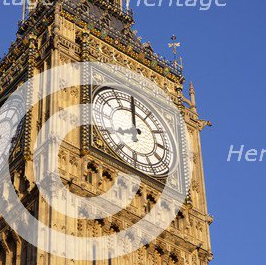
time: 7:59
